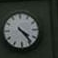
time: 4:23
